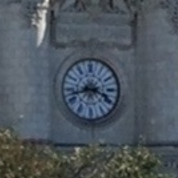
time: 3:42
